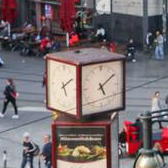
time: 5:09
